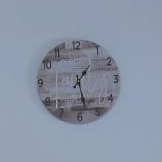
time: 1:28
